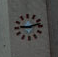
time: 9:12
